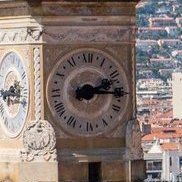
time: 2:15
